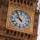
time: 9:54
